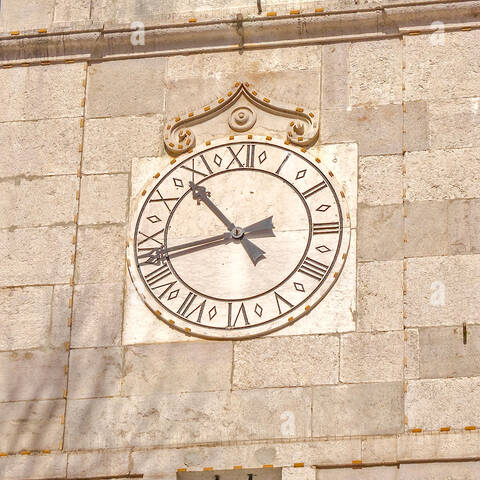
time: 10:42
